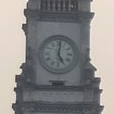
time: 5:01
